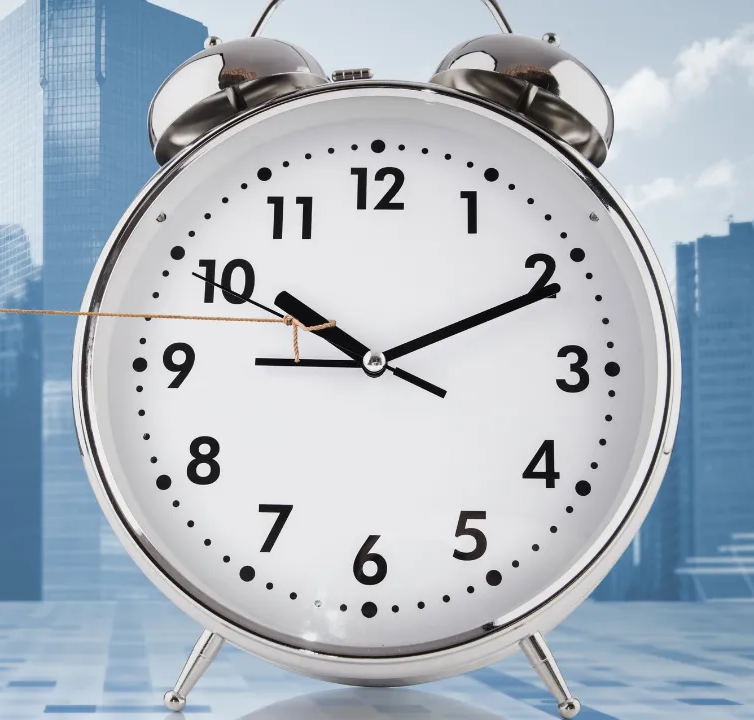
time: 10:10
